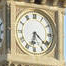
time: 6:21
